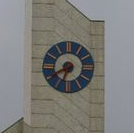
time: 6:40
